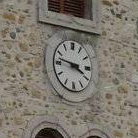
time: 3:47
